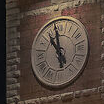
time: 10:58
